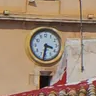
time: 3:32
